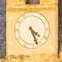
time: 4:26
